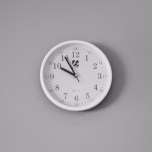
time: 9:55
